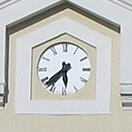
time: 5:38
